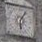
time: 6:04
